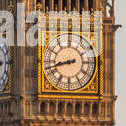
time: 8:42
